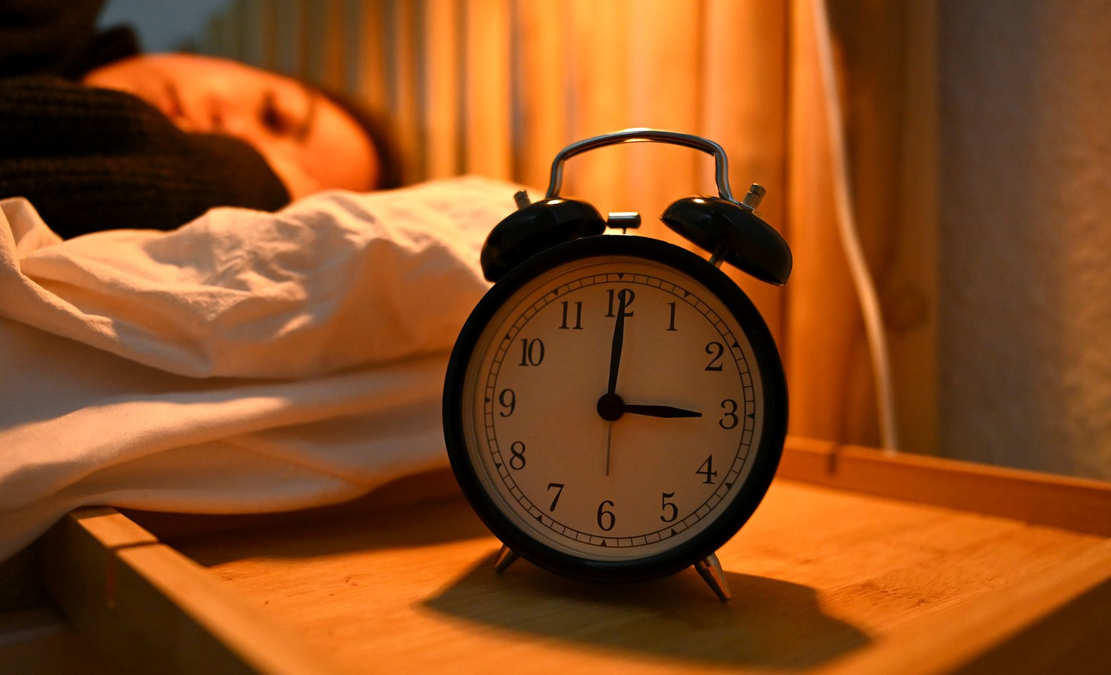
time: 3:00
